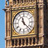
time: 11:22
